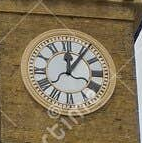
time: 12:06
